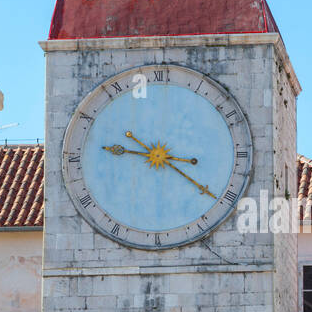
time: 9:21
